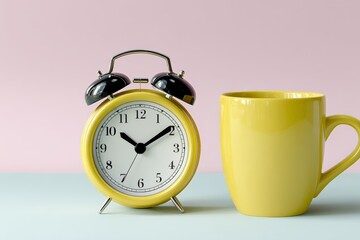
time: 10:09
